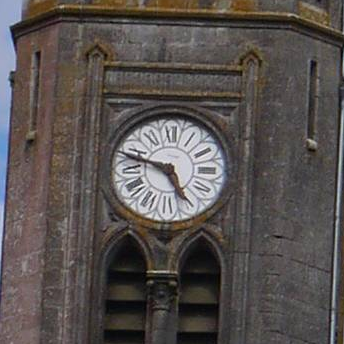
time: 4:47
